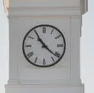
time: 10:21
